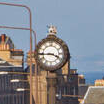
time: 3:44
